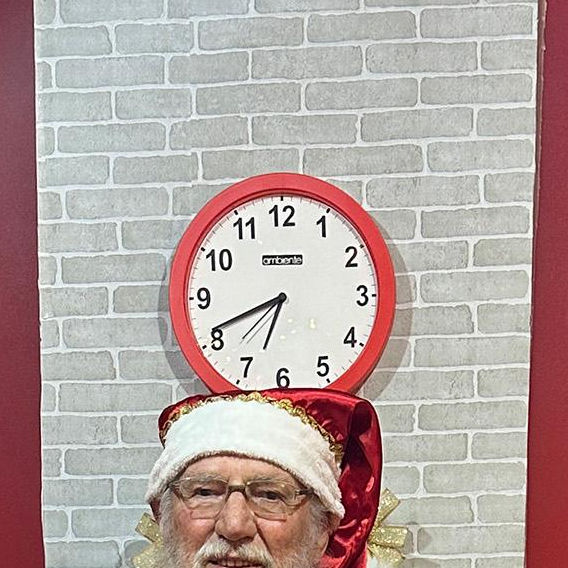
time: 6:41
